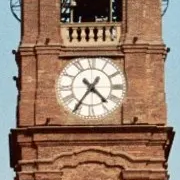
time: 4:35
